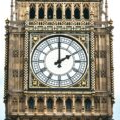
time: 2:00
